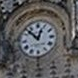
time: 12:52
